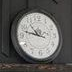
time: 10:47
